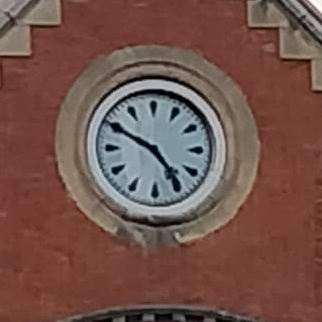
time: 4:49
